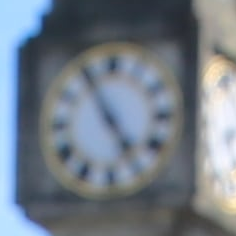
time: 4:55
